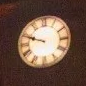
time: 9:48
